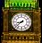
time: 8:38
